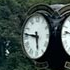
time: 5:46
